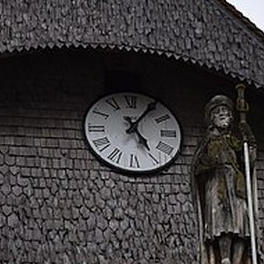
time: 5:05
